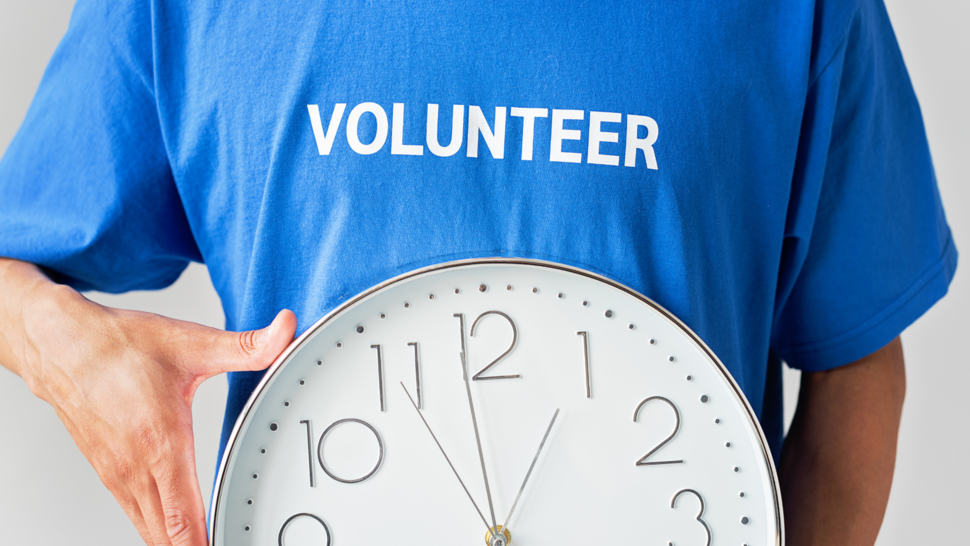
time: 12:58
